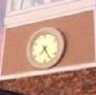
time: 7:24
